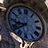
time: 8:38
